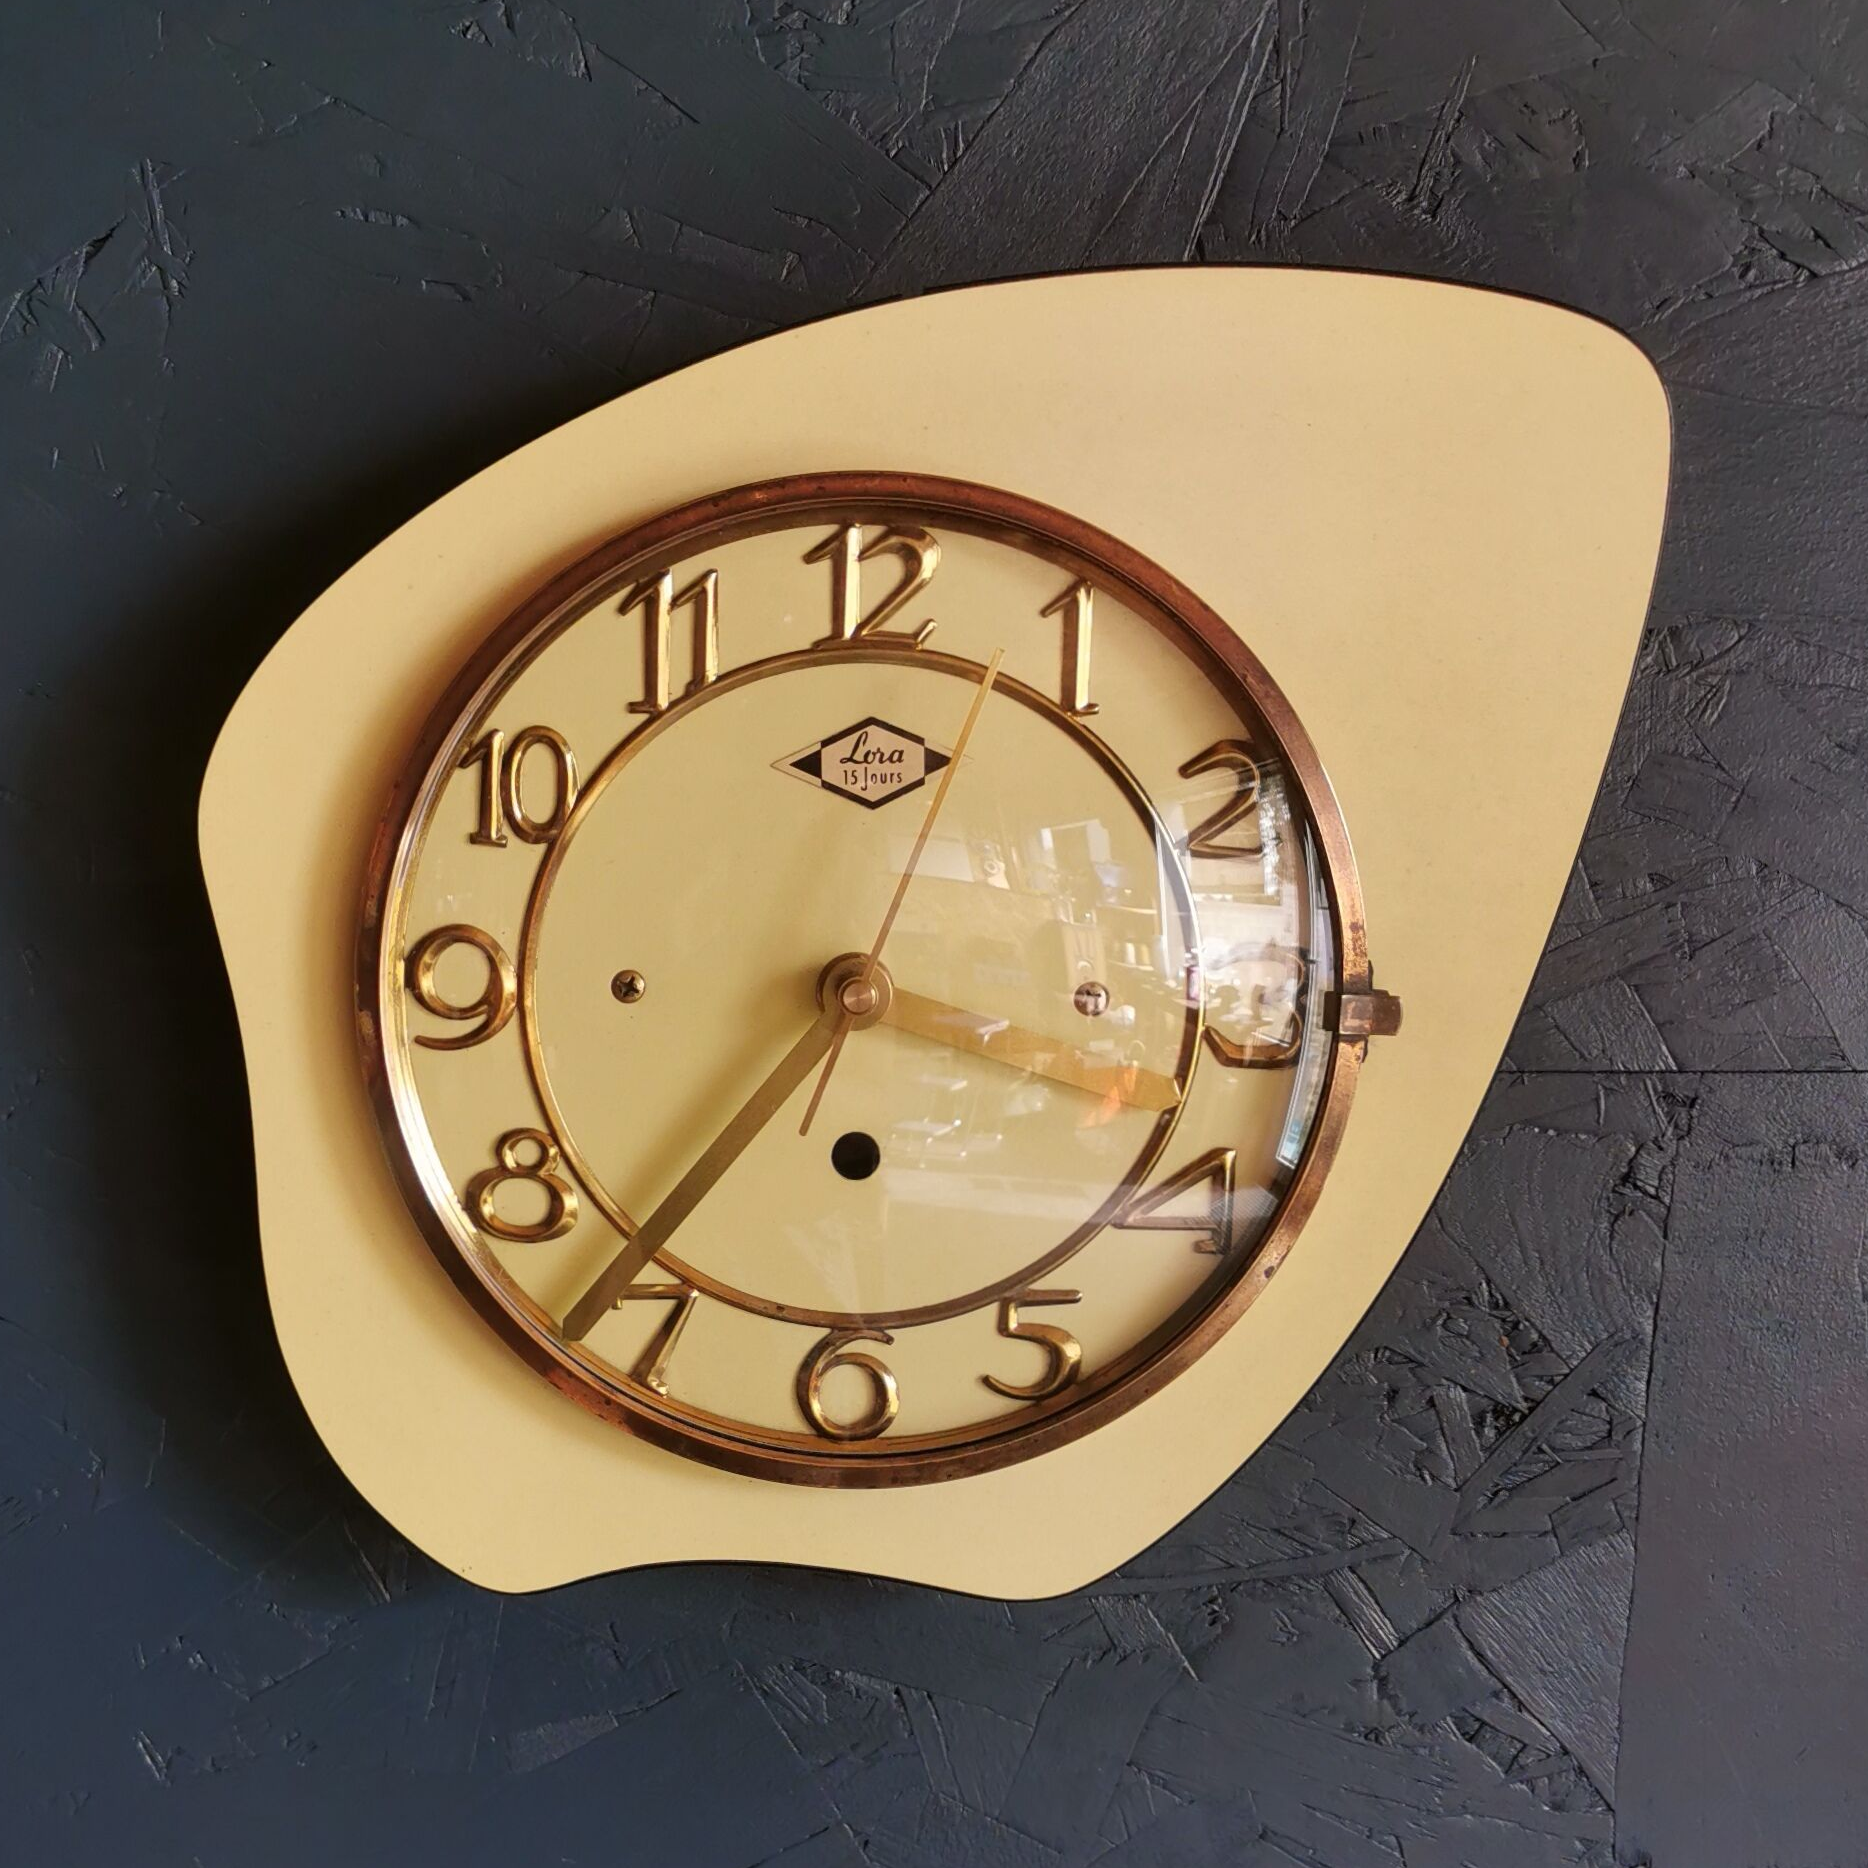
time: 3:36
